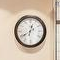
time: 12:39
